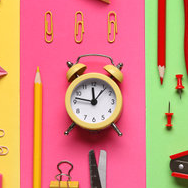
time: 11:46
